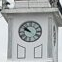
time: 9:51
